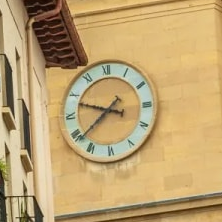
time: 9:38
